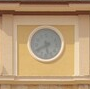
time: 5:40
